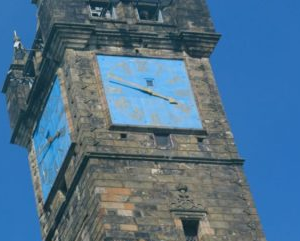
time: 3:48
